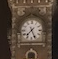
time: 7:26
